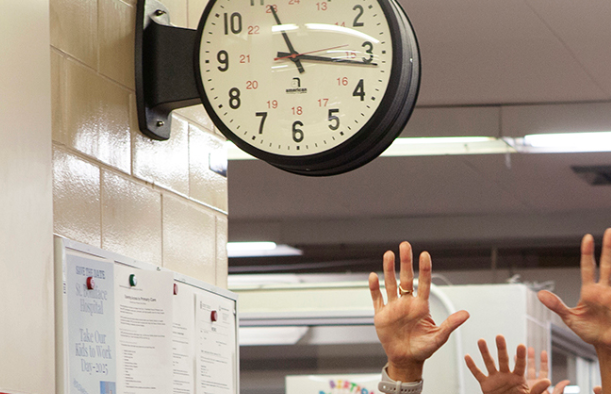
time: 11:16
